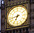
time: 6:42
